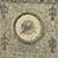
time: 9:38
